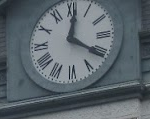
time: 12:20
